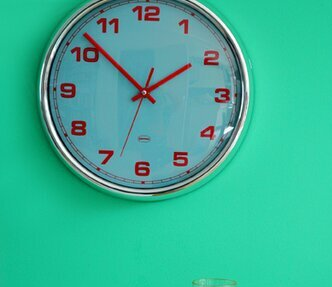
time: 1:51
